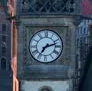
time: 7:12
